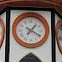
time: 1:19
